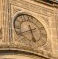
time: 5:40
